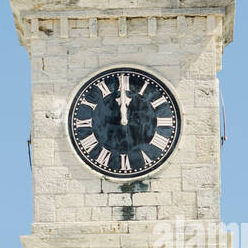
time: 11:59
